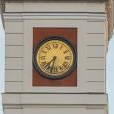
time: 7:32
